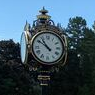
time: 10:51
